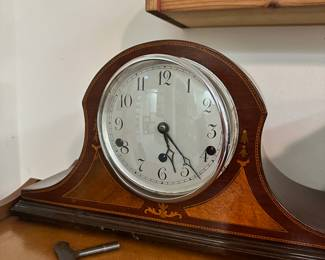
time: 5:23
